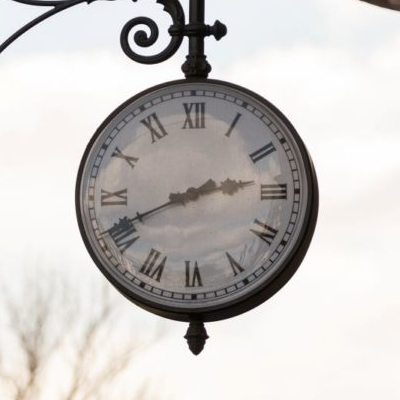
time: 2:41
